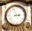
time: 2:56
